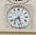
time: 7:27
